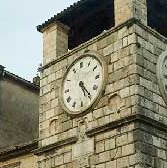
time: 5:24
